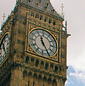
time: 11:24
